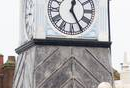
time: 12:24
